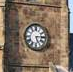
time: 5:14
